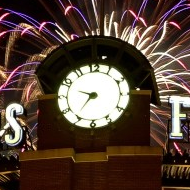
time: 9:36
